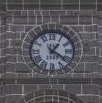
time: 1:20
